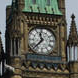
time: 11:37
